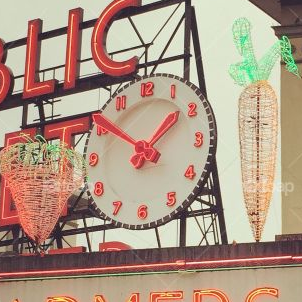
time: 1:50
